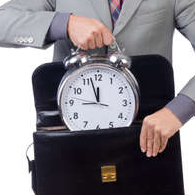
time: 11:57
